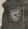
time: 4:12
